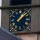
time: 1:07
